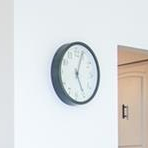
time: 5:03
